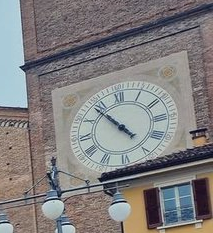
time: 4:53
